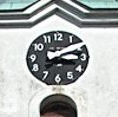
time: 3:09
